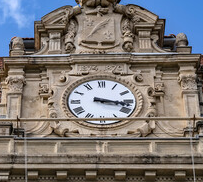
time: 3:17
